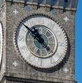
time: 10:51
